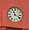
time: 11:19
